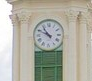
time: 10:49
